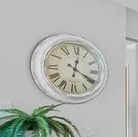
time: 12:20
